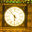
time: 5:53
